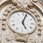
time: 5:03
